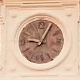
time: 9:04
